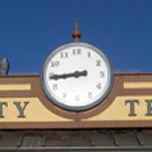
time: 8:44
